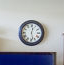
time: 12:27
